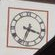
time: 3:33
